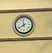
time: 11:40
